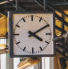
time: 4:09
